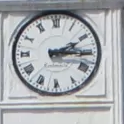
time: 2:15
